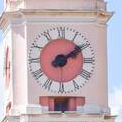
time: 2:09
